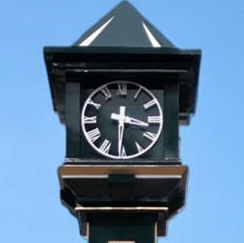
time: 3:30
